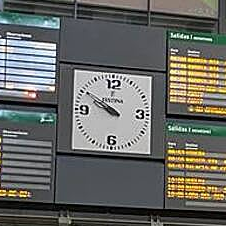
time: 9:50
